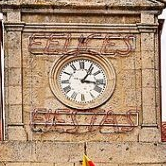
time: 1:16
